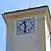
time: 11:32
